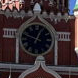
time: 12:48
